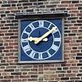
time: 9:08
